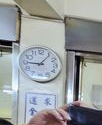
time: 9:06
